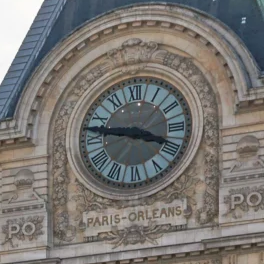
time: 3:47
